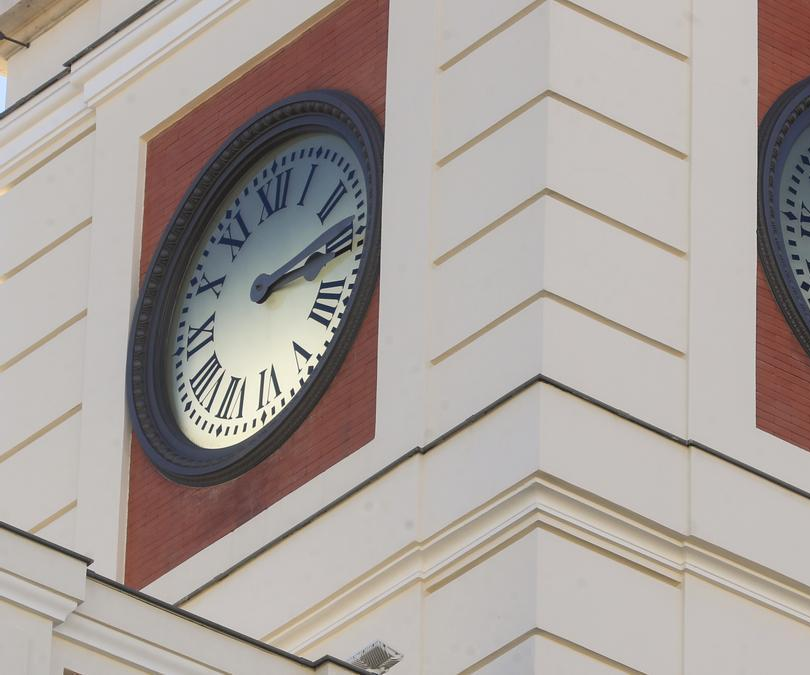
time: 3:13
